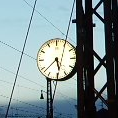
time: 5:38
